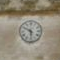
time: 5:49
